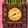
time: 8:11
